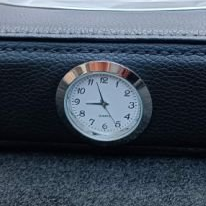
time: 8:57
